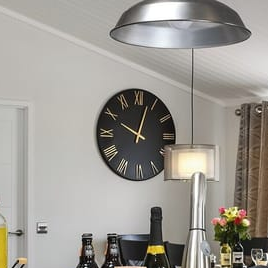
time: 10:02
